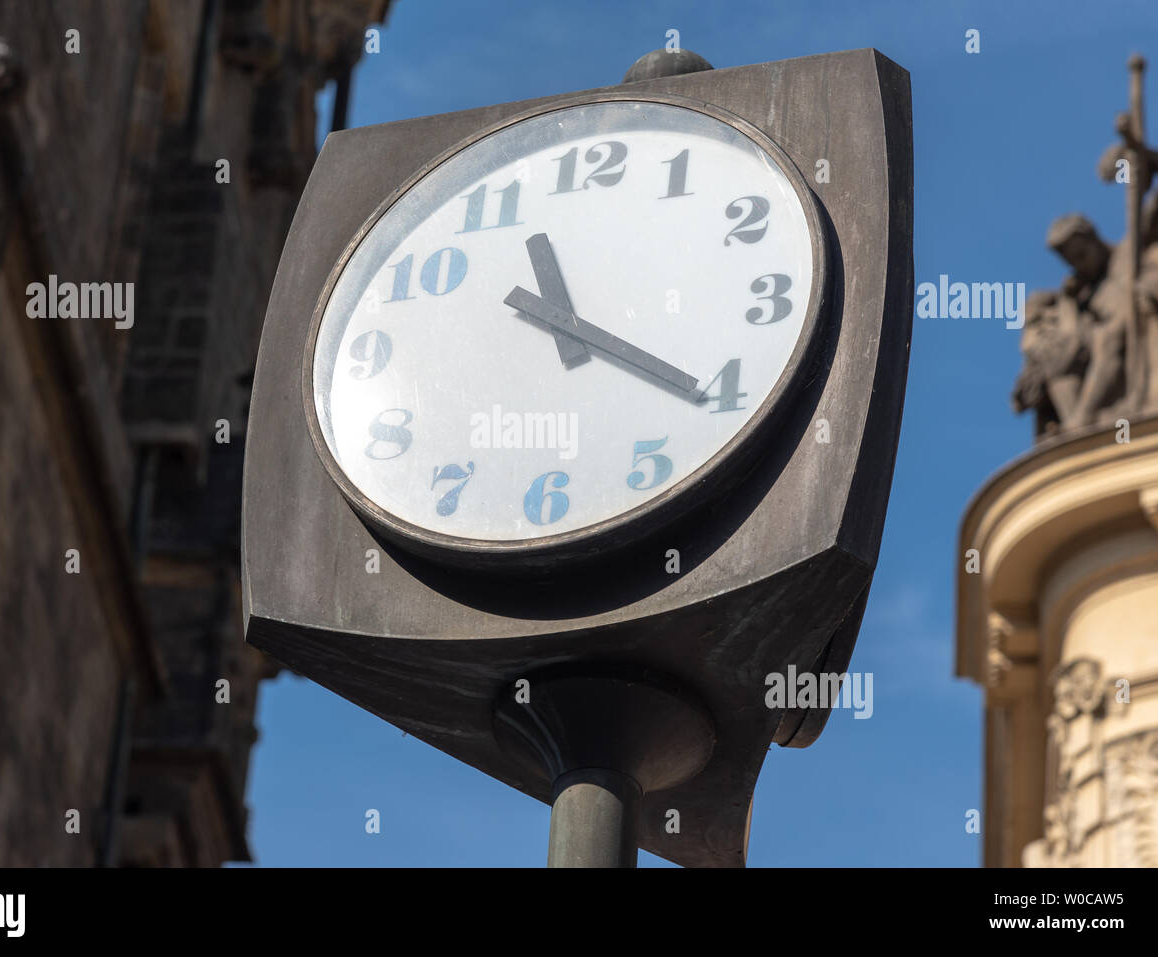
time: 11:20
